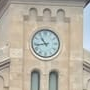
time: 10:43
